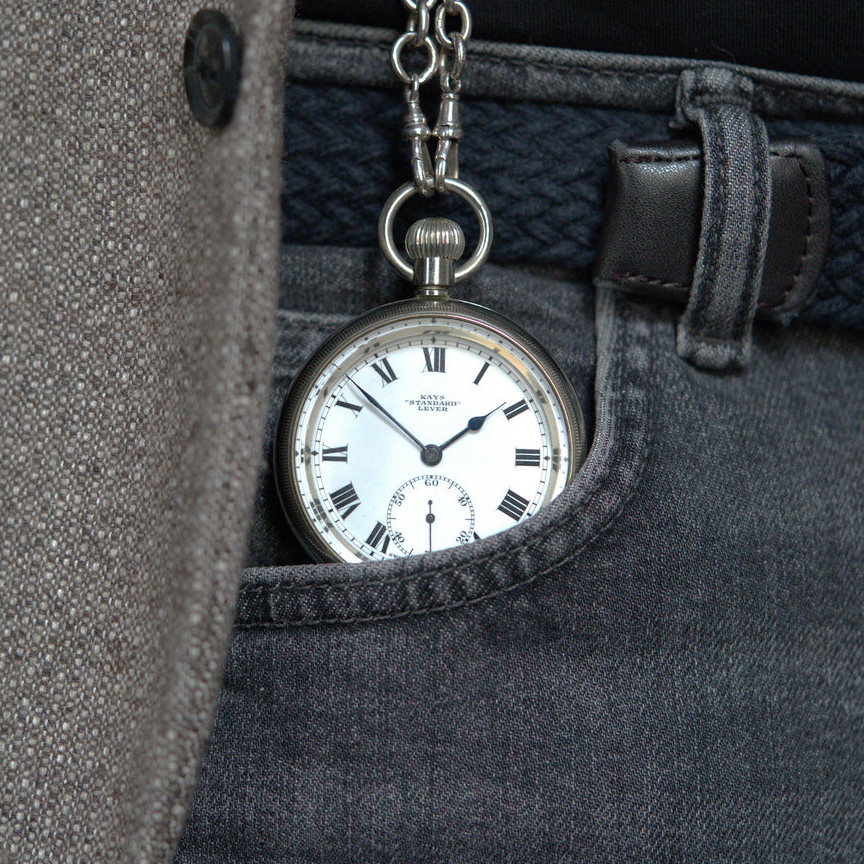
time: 1:51
